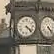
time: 4:22
